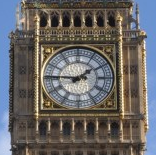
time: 1:46
